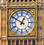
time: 12:50
